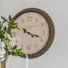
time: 4:18
